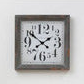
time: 1:50
